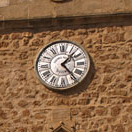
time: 1:23
